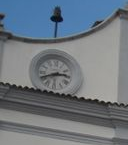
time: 2:40
